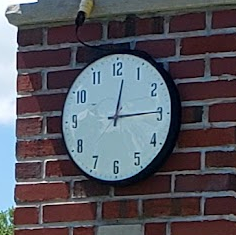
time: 12:14
